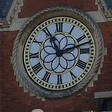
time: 11:12
